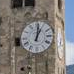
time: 1:01
